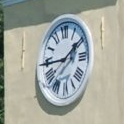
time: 1:44
